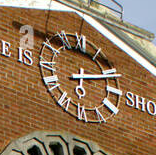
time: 6:11
